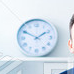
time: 1:50
